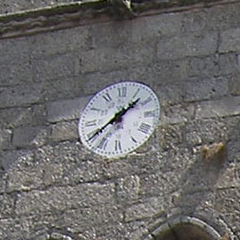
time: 1:38
